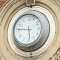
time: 5:46
